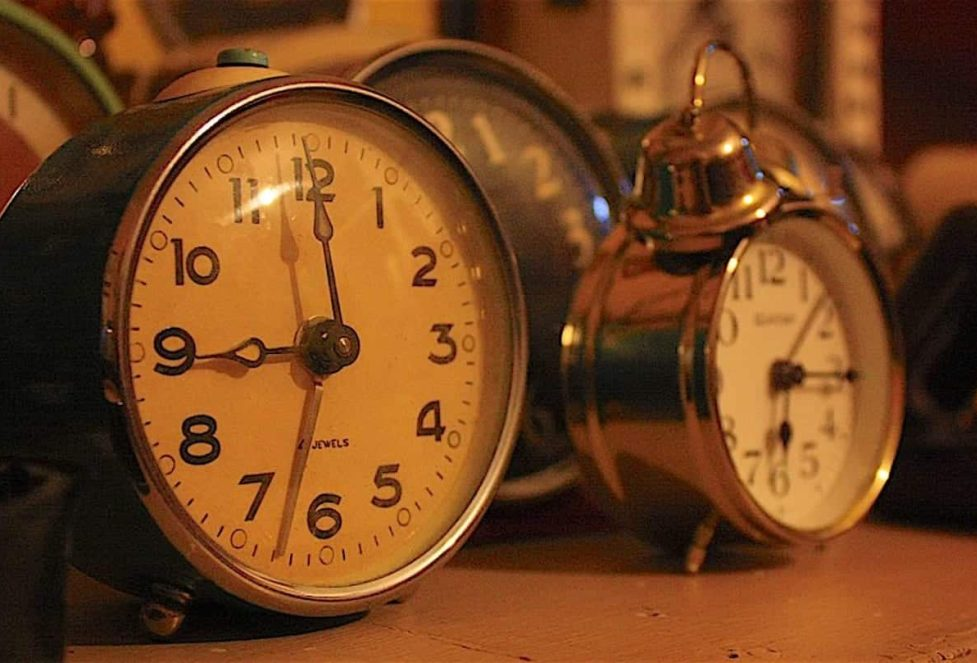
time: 8:59
